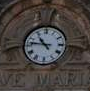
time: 10:46
